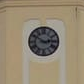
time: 2:50
